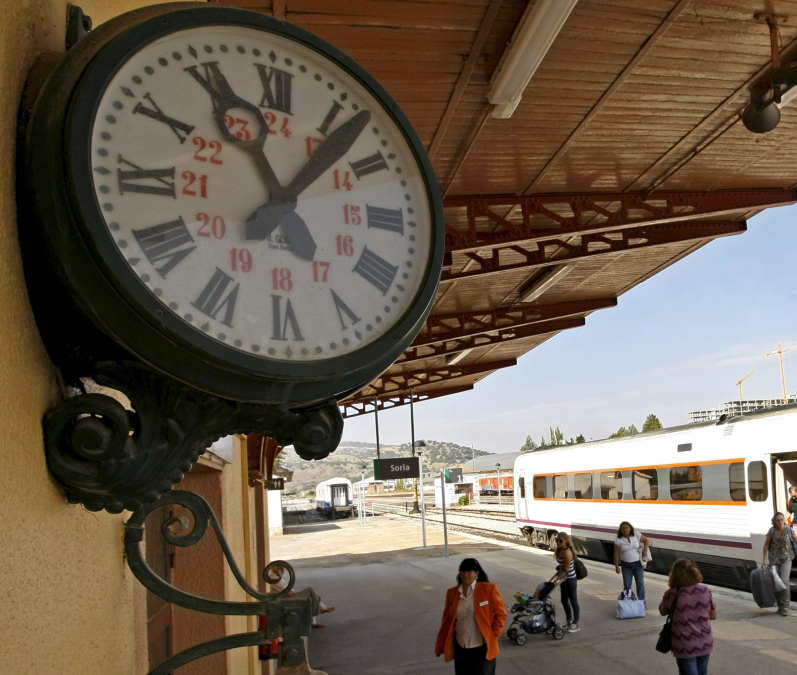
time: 11:06
